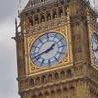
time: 1:42
